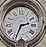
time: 2:34
